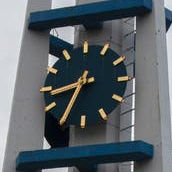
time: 8:35
